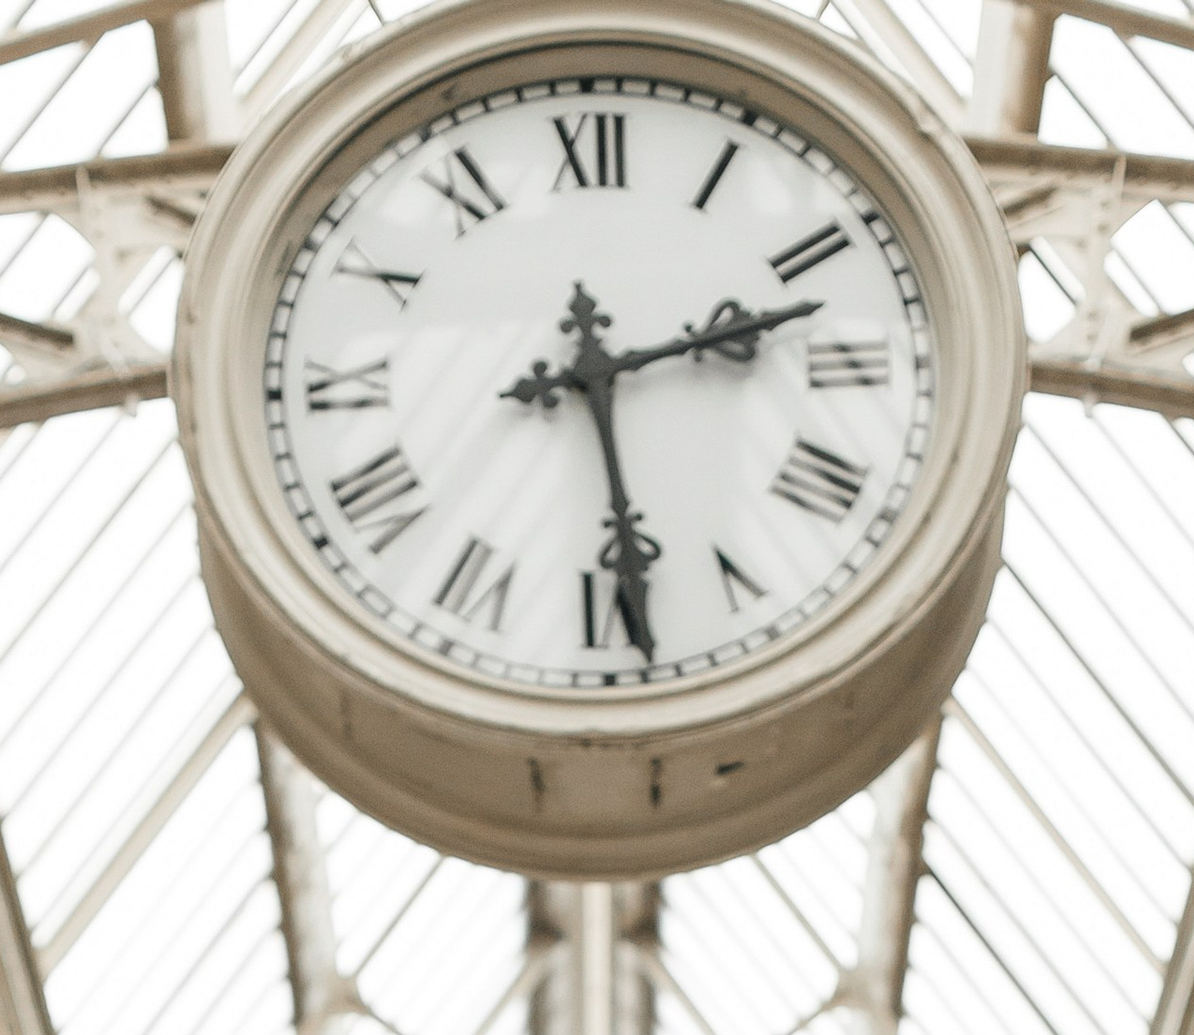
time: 2:28
